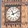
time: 11:11
